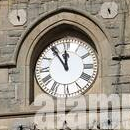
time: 11:54
